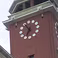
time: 10:34
